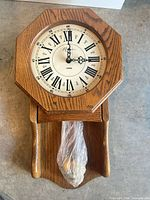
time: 3:00
